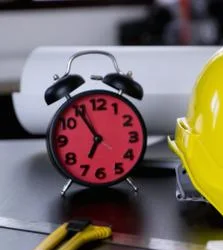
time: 6:54
